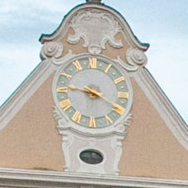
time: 9:19
